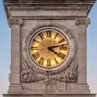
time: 4:12
